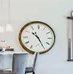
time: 10:24
